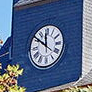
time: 11:51
